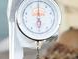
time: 5:59
